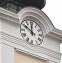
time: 11:50
